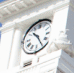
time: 10:24
